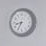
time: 8:34
